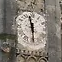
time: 11:29
